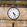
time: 4:26
